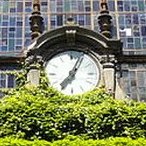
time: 7:04
